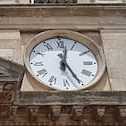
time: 12:25
